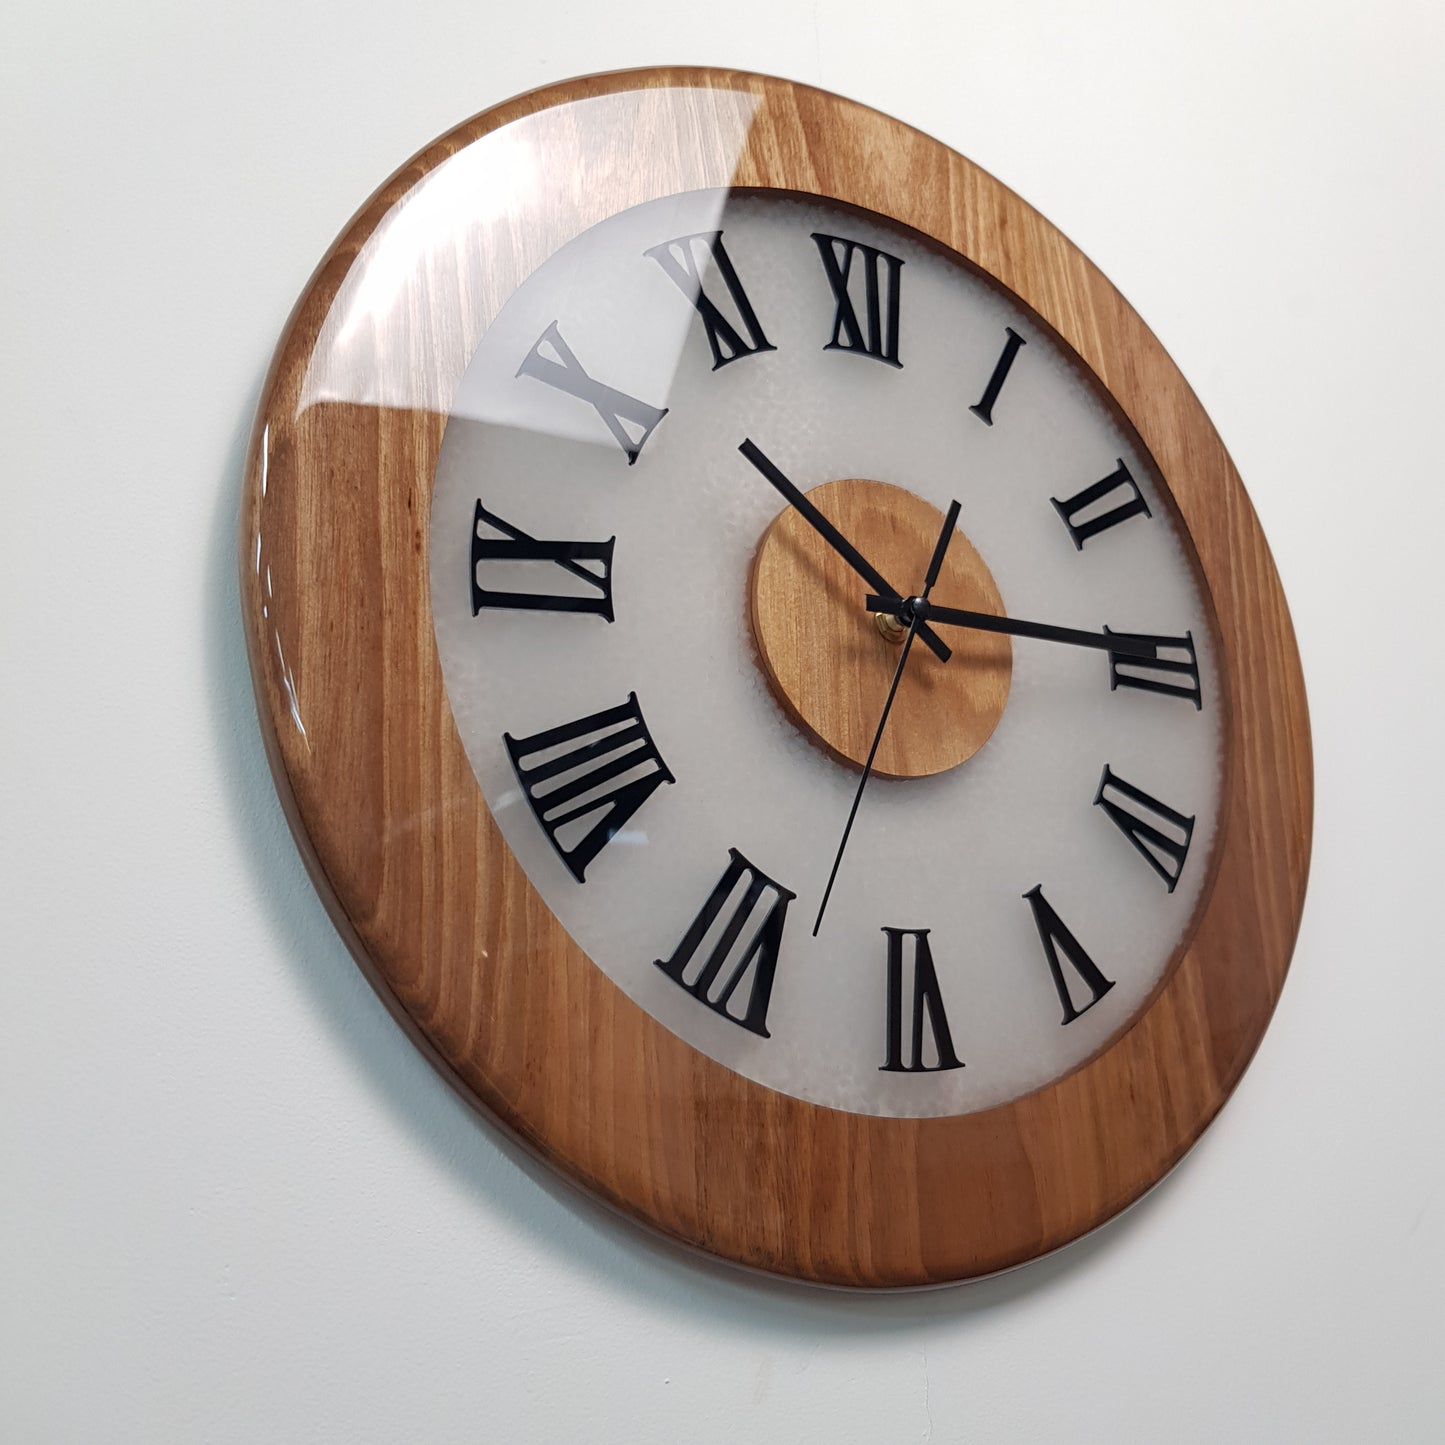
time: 10:14
